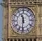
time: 11:31
